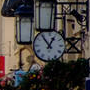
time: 12:53
